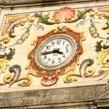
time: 3:43
